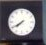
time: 7:39
